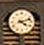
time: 4:12
